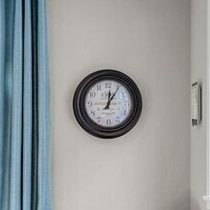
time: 12:05
